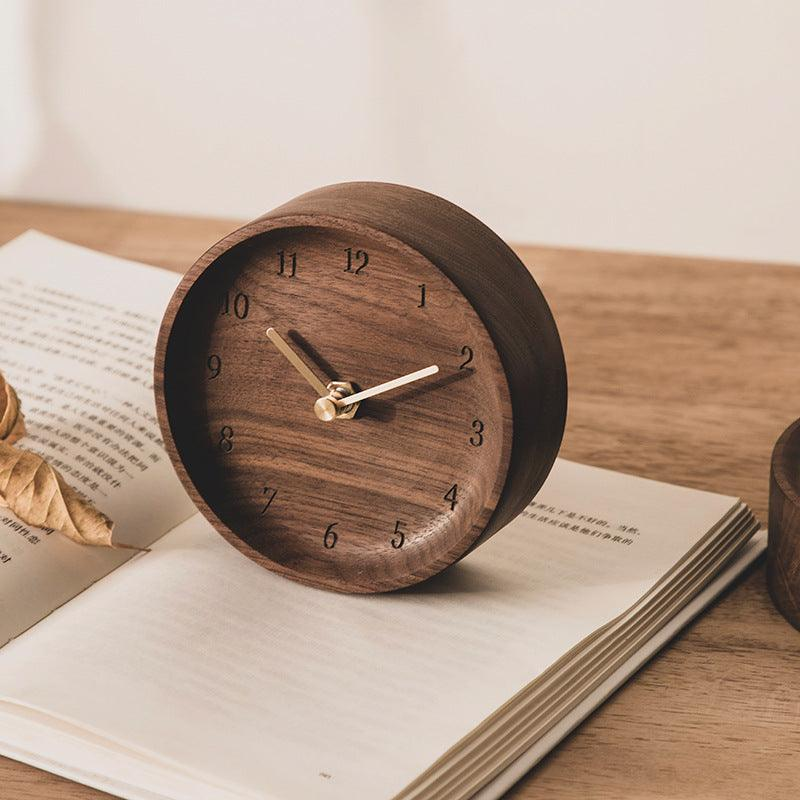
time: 10:10
